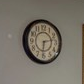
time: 6:13
